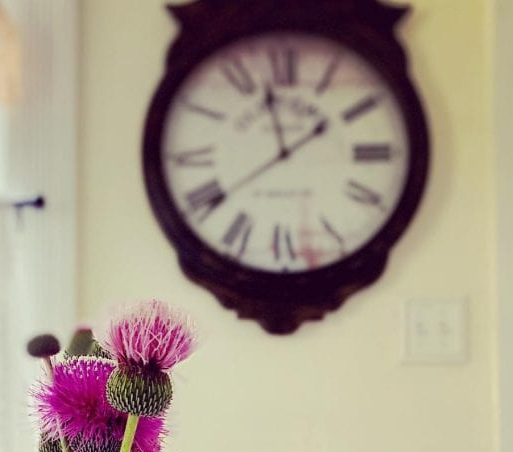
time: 1:57
